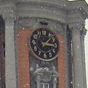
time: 1:16
